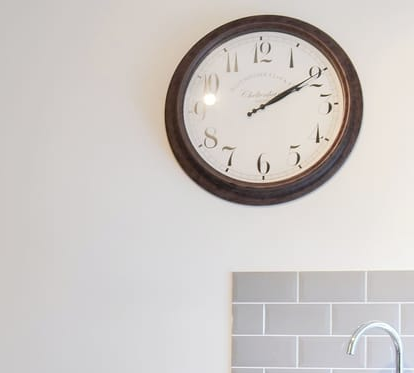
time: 2:09
